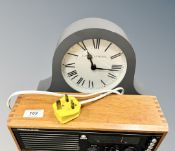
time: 11:16
